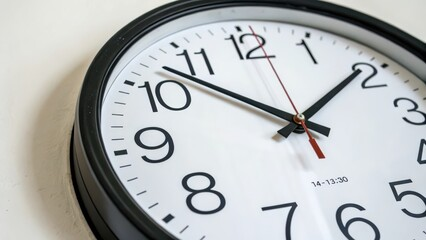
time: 1:52
